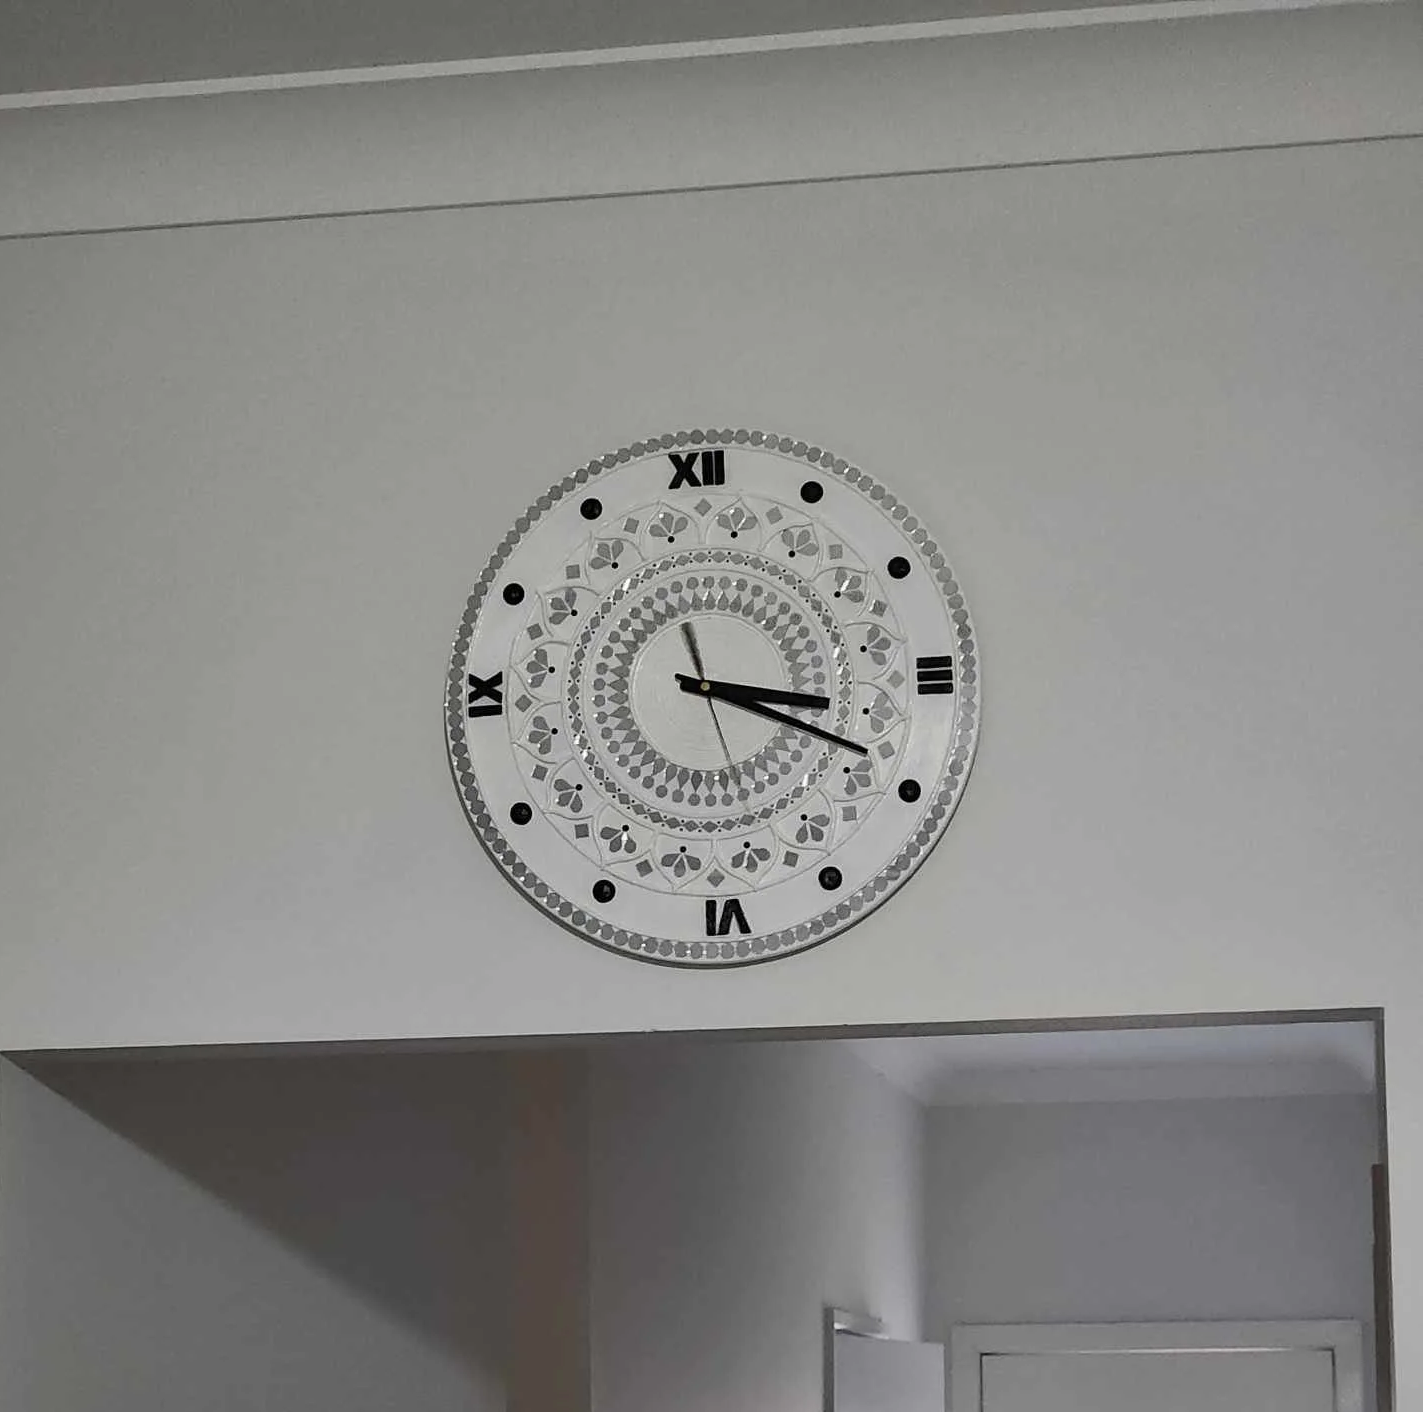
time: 3:19
